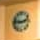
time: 2:46
